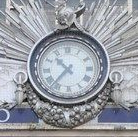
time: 10:37
